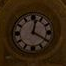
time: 12:20
